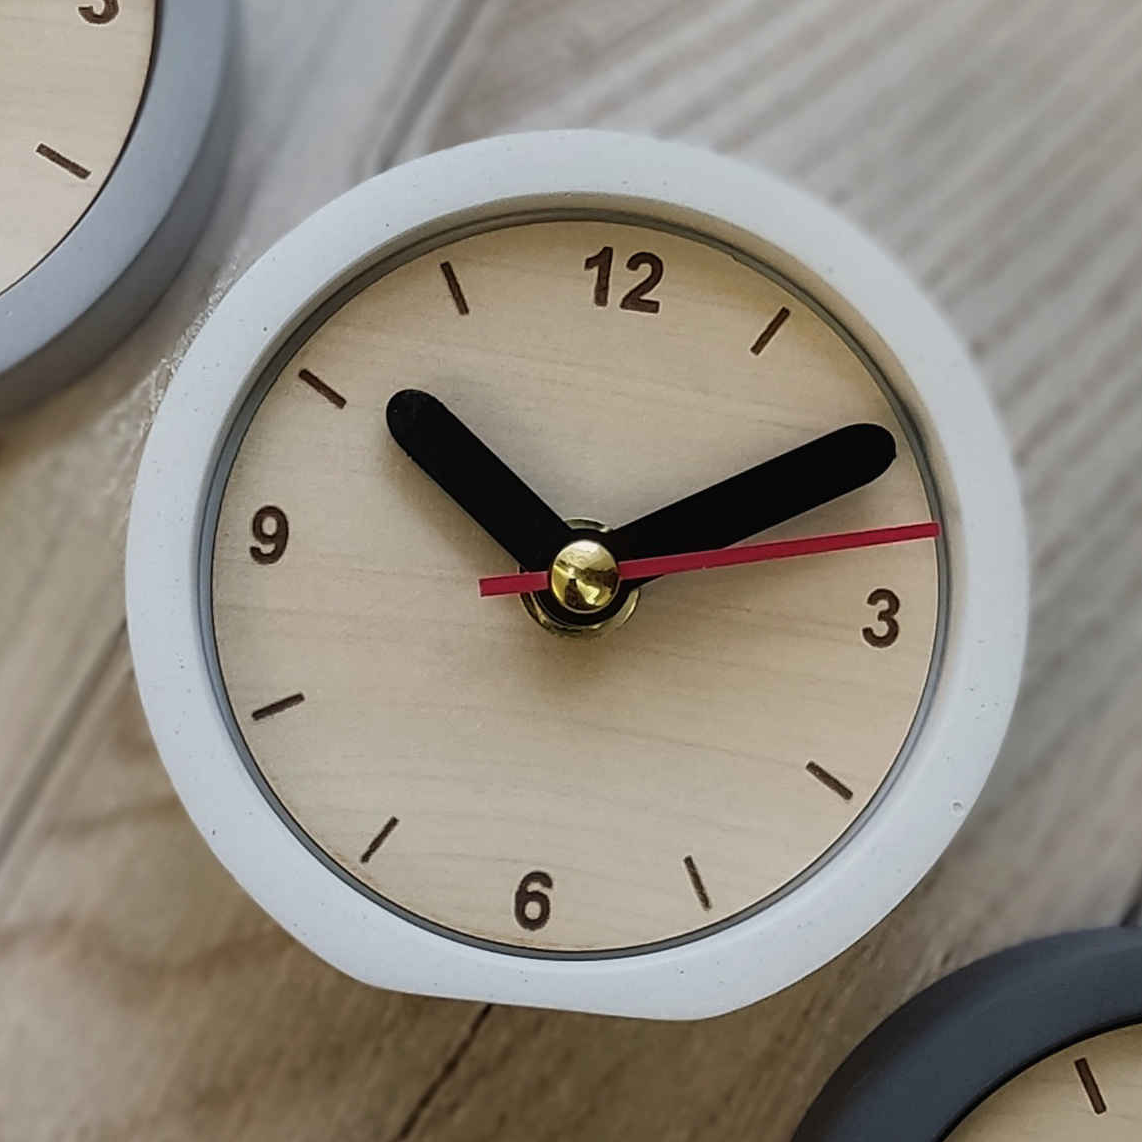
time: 10:10
